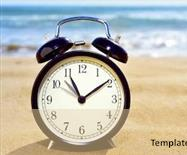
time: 11:09
